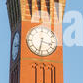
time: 3:32
